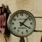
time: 4:07
